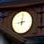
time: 9:01
